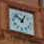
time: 12:52
